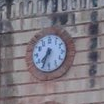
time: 7:33
